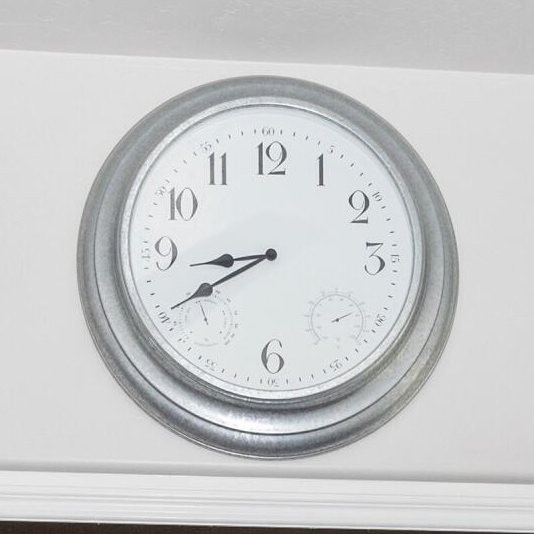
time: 8:40
